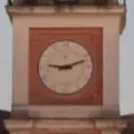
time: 9:12
